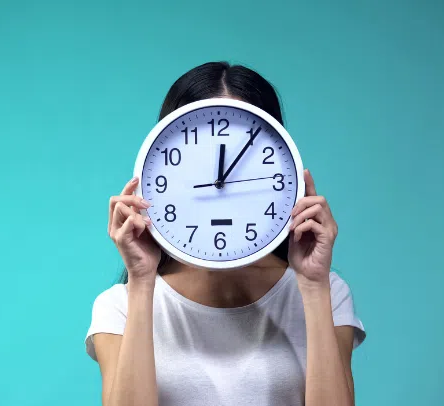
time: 12:06
